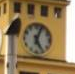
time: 5:03
